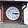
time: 3:14
